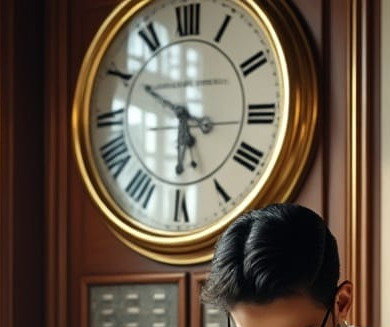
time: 5:50
